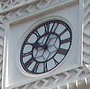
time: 10:03
